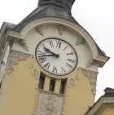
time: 9:42
